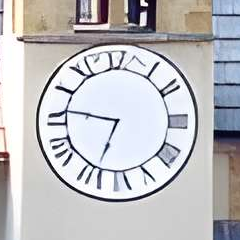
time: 6:46
